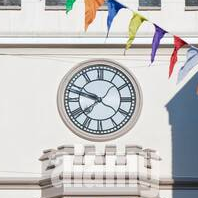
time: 7:47
